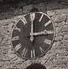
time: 3:00
